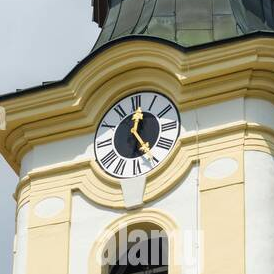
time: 12:24
